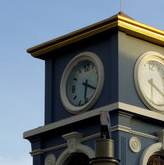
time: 6:19
